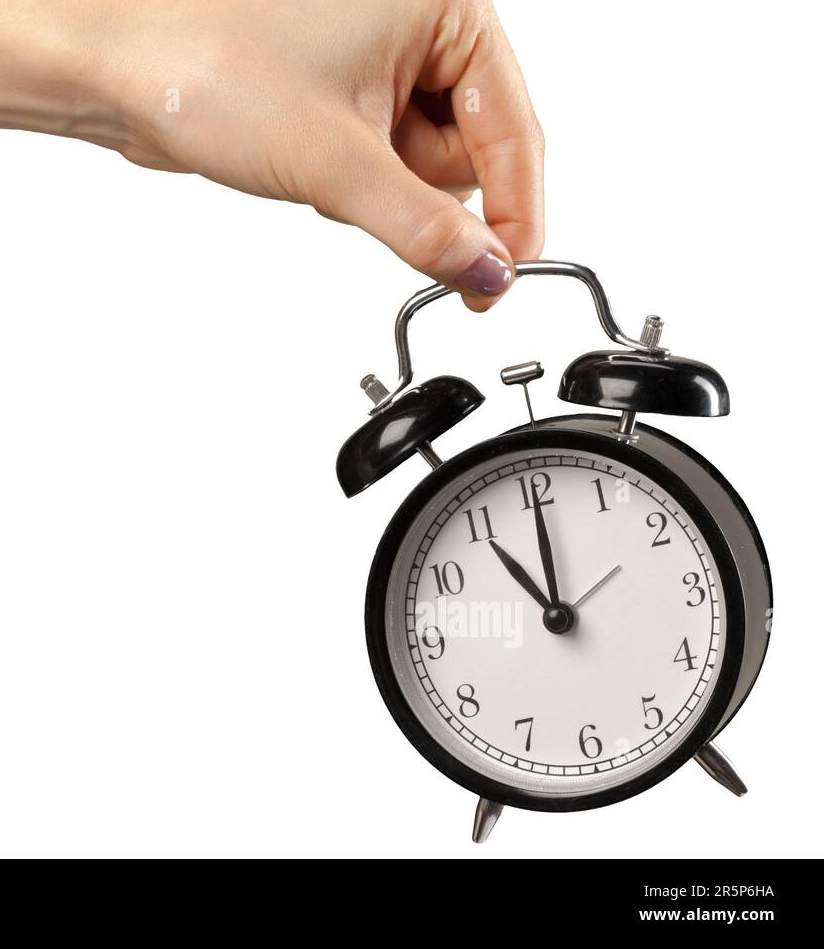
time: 11:00
